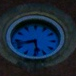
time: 5:42
